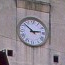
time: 2:52
